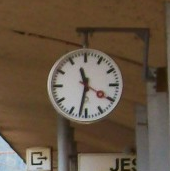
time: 11:32
